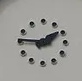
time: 1:46
